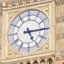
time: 5:14
